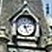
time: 2:26
